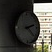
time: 2:22
